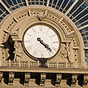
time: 4:22
